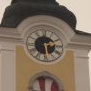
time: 2:29
